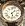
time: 1:28
